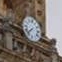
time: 7:37
